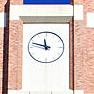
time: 11:47
